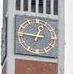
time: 12:46
